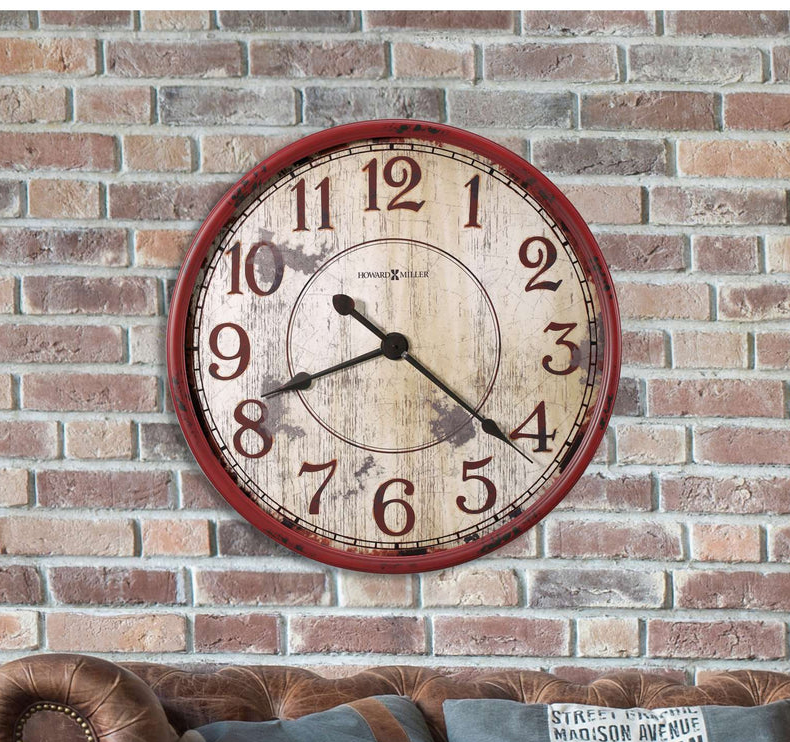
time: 8:21
